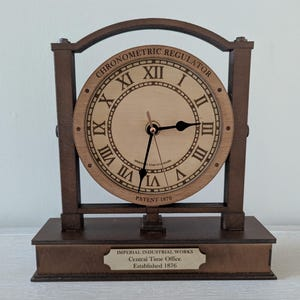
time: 2:32
